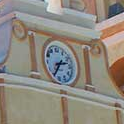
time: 2:36
